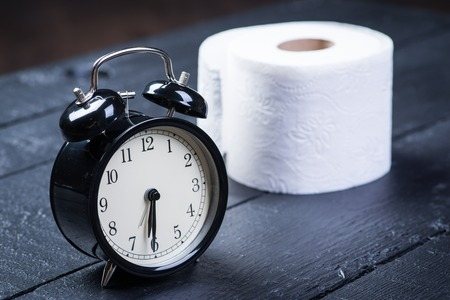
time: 6:30
